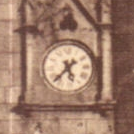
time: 5:37
